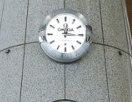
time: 12:15
